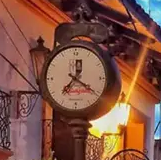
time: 7:20
